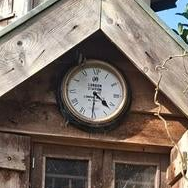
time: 4:30
